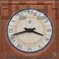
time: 3:42
